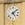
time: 5:08
